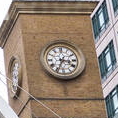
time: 3:34
